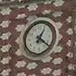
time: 1:21
